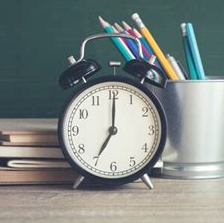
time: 7:00
